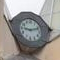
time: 9:12
